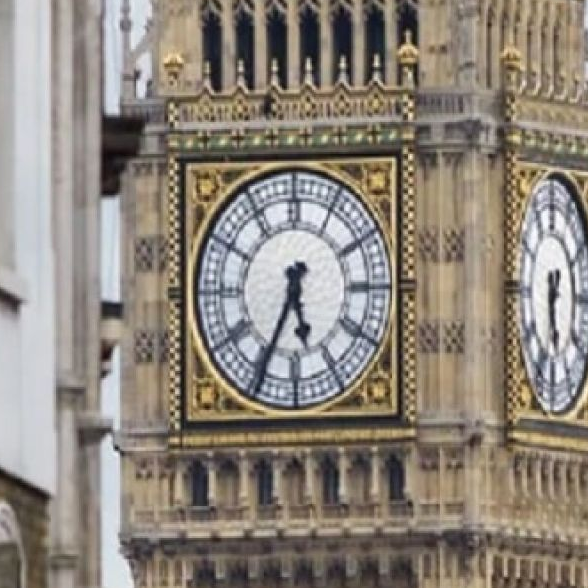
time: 5:34
